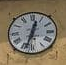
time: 12:33
